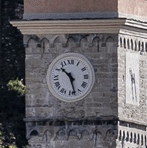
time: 10:28
